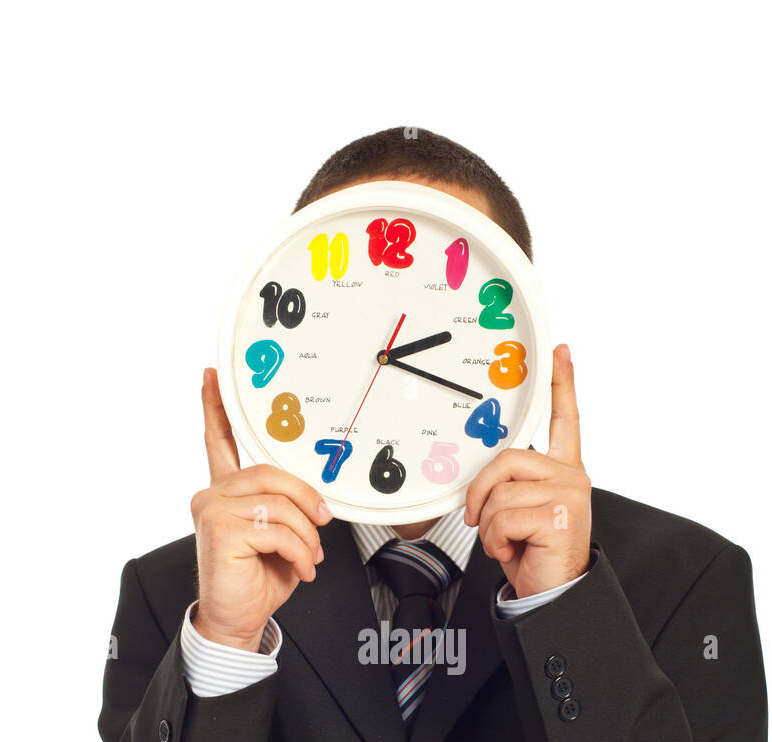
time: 2:18
